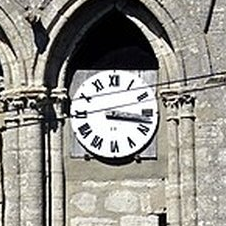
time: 3:17
